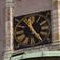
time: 11:24
